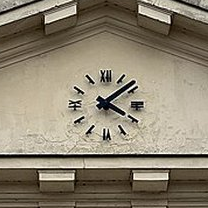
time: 4:08
